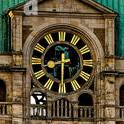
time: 8:30
